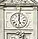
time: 5:01
